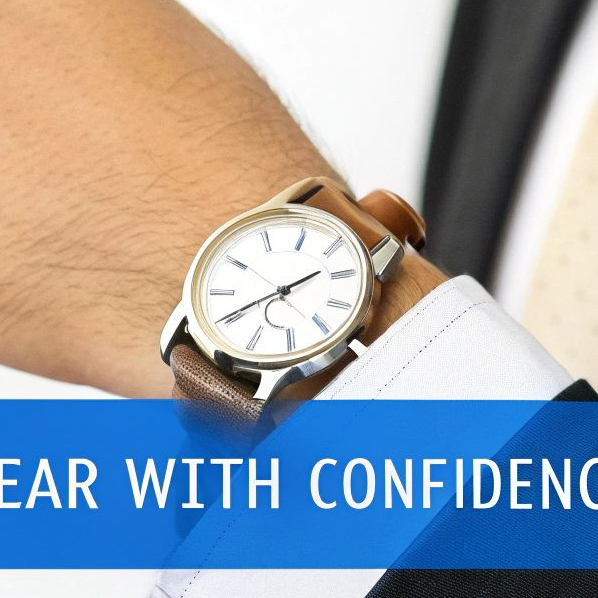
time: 1:40
